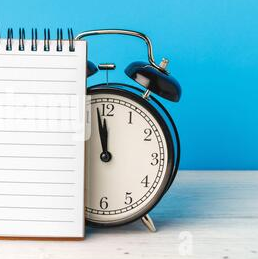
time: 11:58
